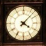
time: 4:07
